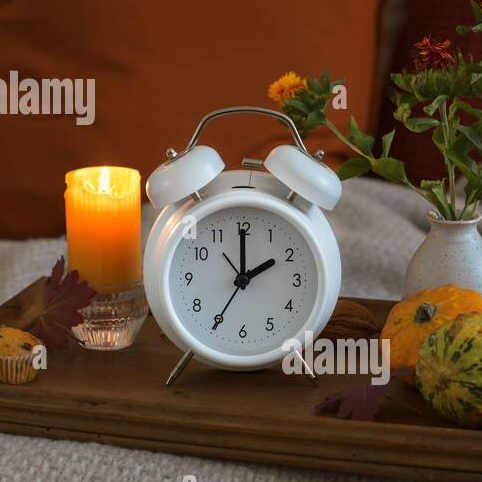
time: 2:00
